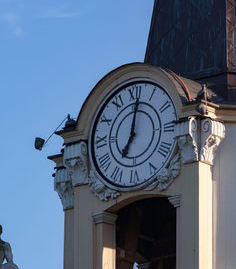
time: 7:01
